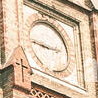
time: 2:46
